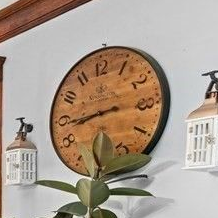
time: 8:43
